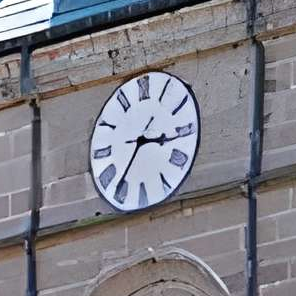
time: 7:16
